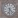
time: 6:22
